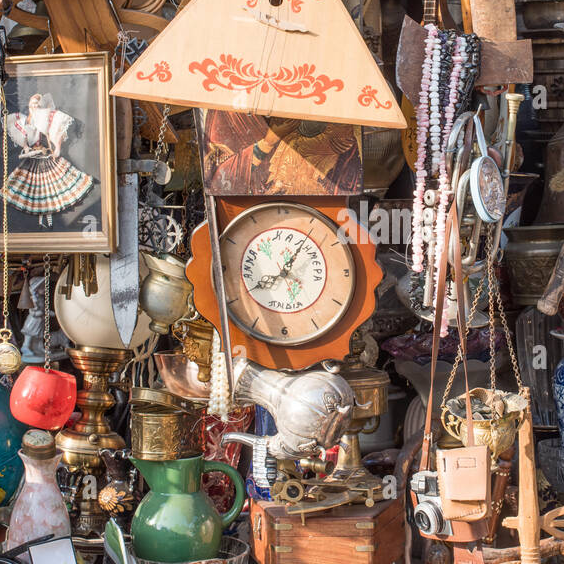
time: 8:06
